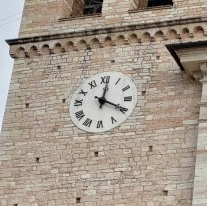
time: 12:19
